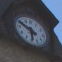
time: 5:49
